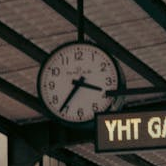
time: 3:36
